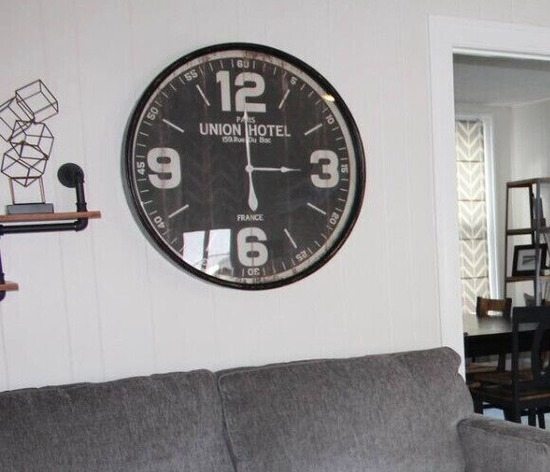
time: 2:59
